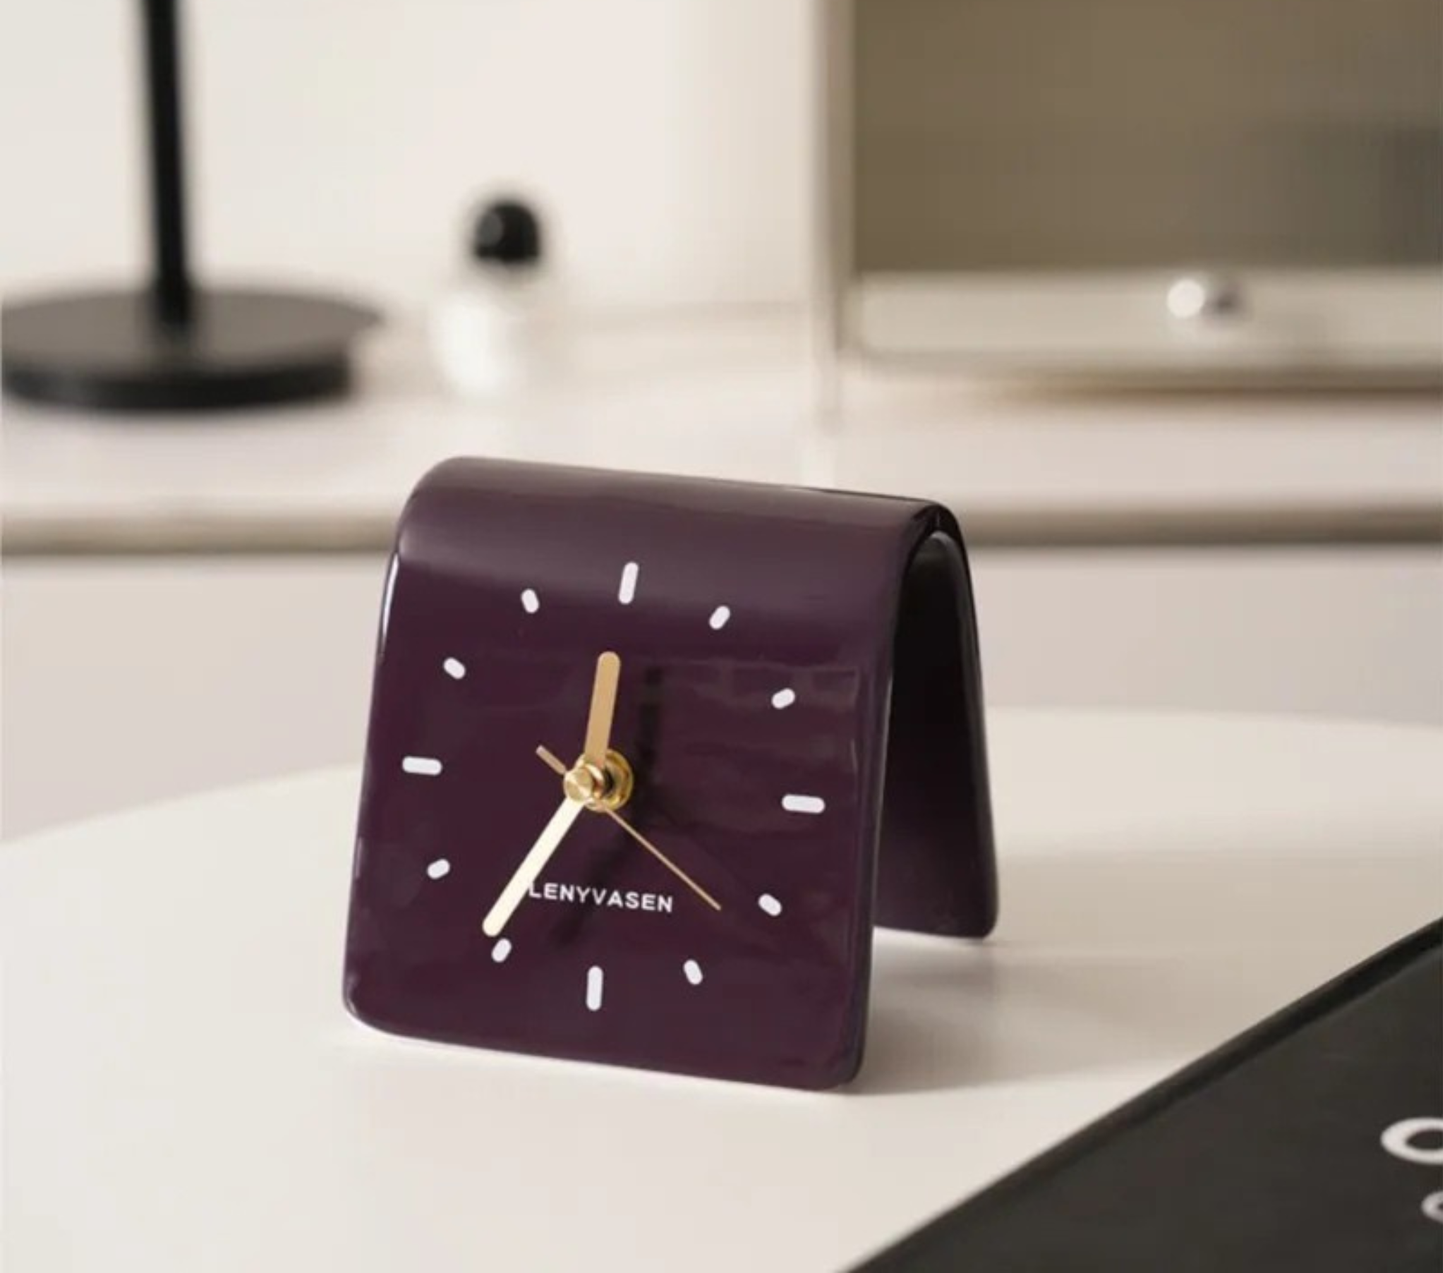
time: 12:36
